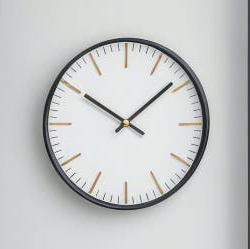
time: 10:08
